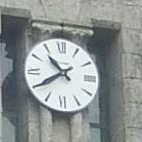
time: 10:39
